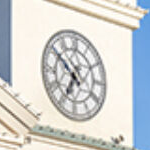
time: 6:50
